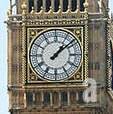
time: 1:08
